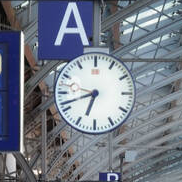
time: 6:41
